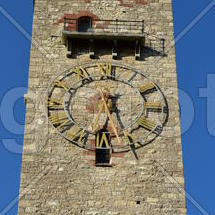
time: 6:26
